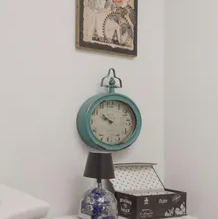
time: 9:51
